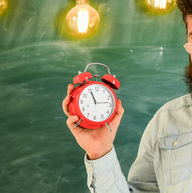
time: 11:13
